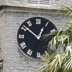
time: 12:51
